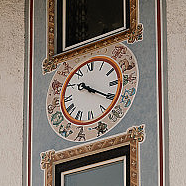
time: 10:20
